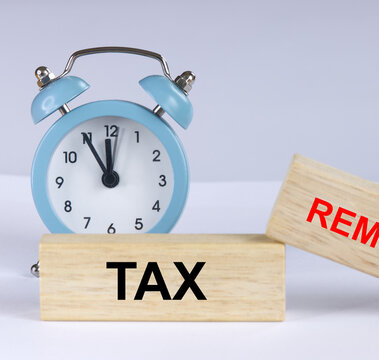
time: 11:55
